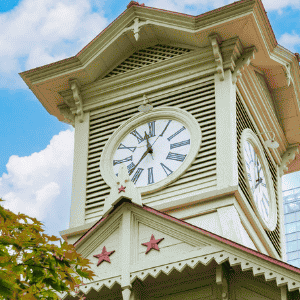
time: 11:36
